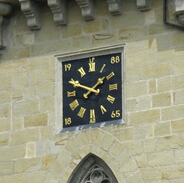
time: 1:49
